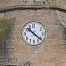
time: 10:21
